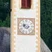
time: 9:22
